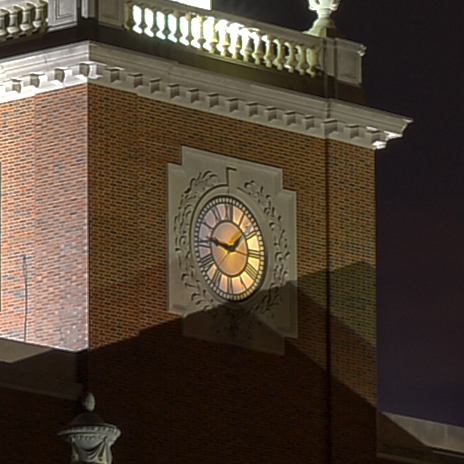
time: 1:46
